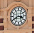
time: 3:40
